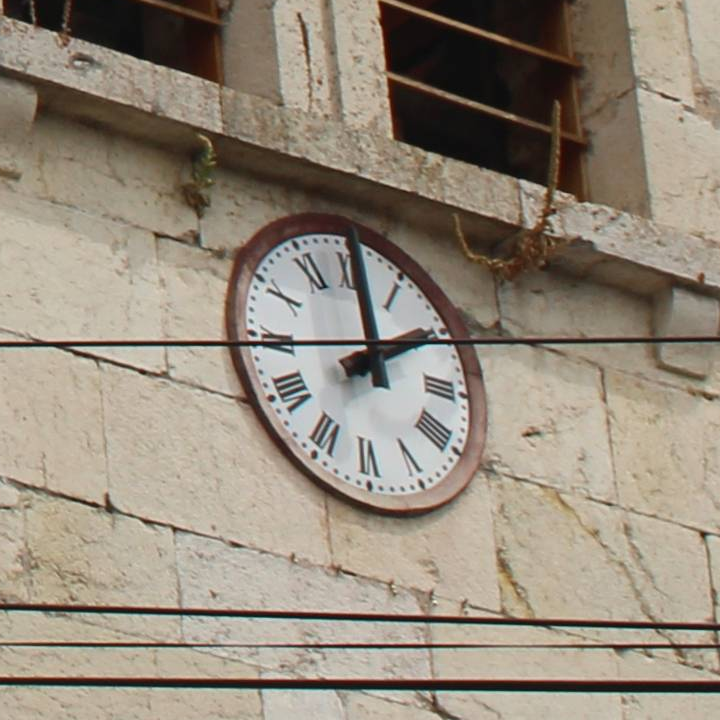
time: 2:00
